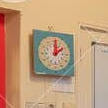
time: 2:01
